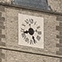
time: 8:26
